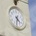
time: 4:31
